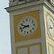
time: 9:42
